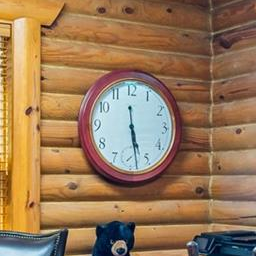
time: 5:28
